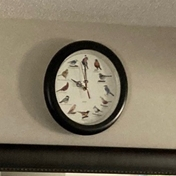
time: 9:59
